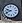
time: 9:41
